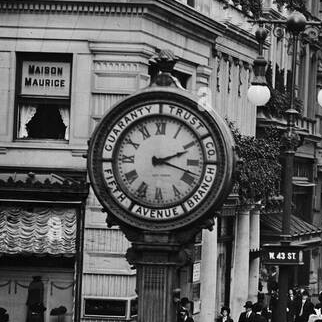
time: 2:18
